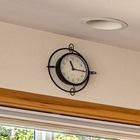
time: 11:15
